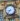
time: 8:36
